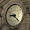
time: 9:22
